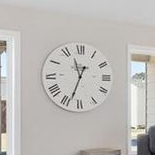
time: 11:33
